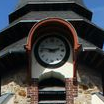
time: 9:12
